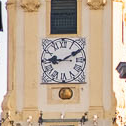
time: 9:10
